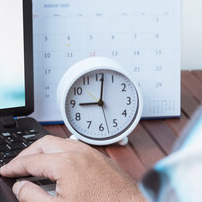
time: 9:01
